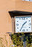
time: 1:35
